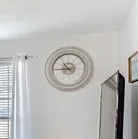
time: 10:44
